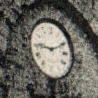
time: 9:10
